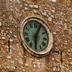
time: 6:04
